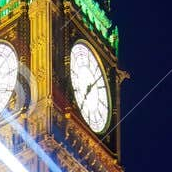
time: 8:12
